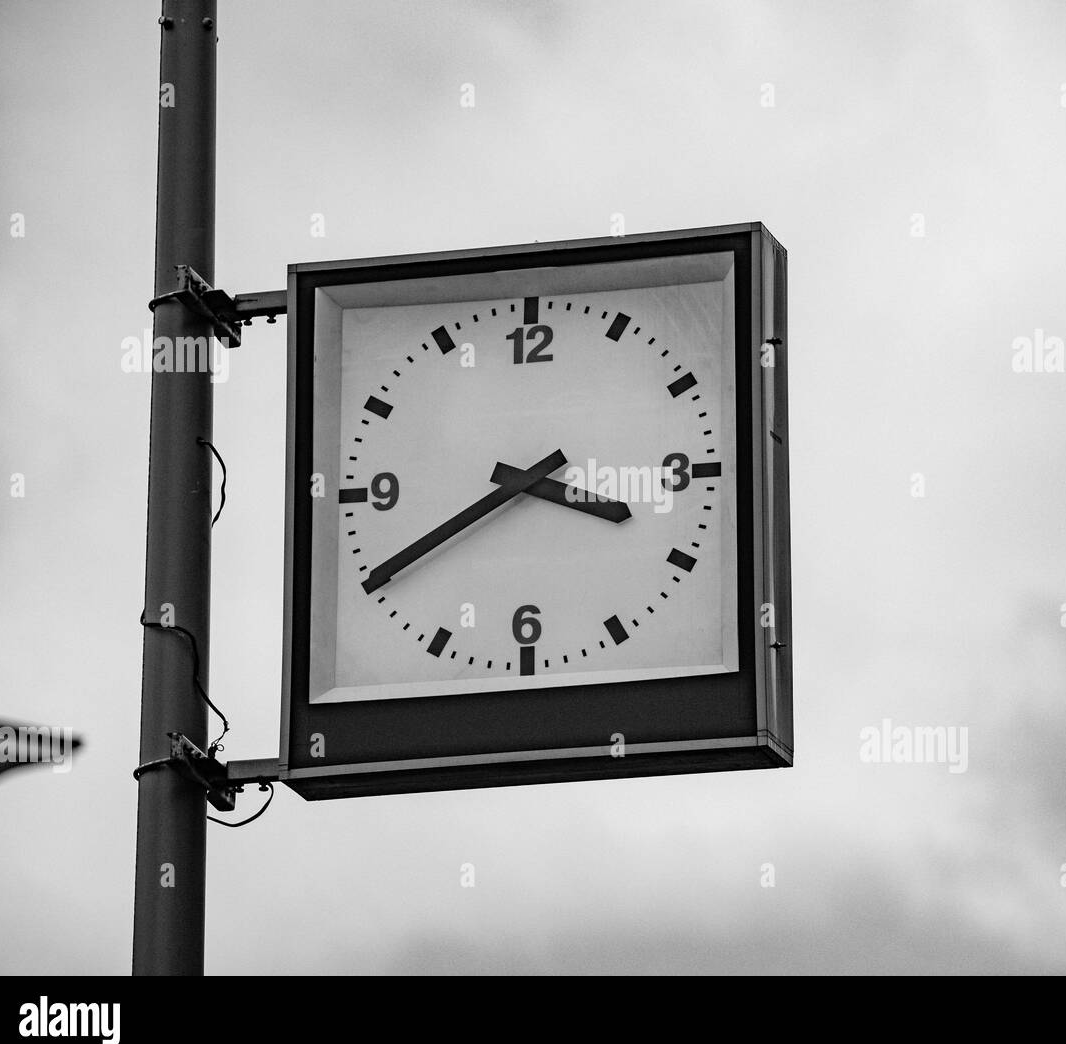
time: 3:40
